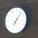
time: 7:06
